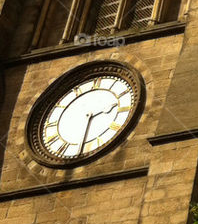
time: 2:29
